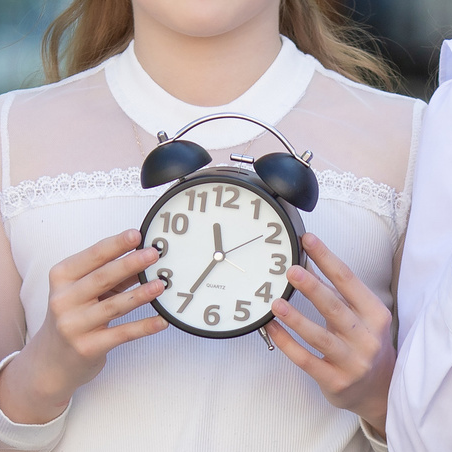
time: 11:35
